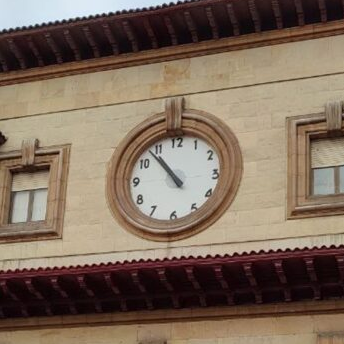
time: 10:53
